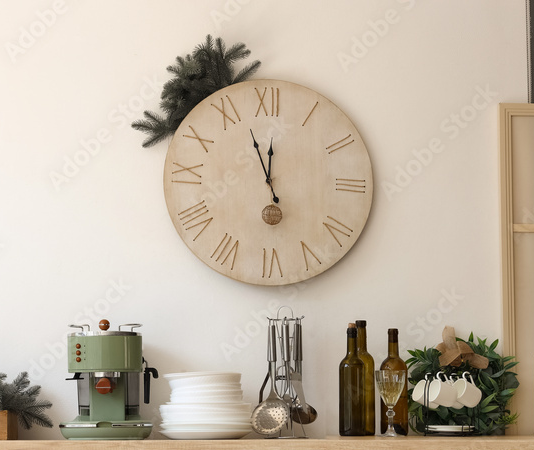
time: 11:56
